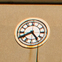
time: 4:40
